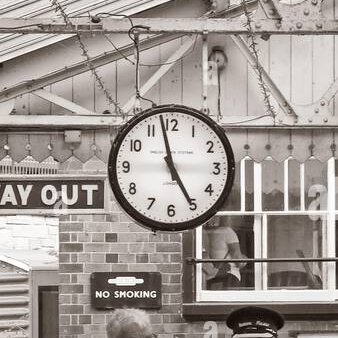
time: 4:57
